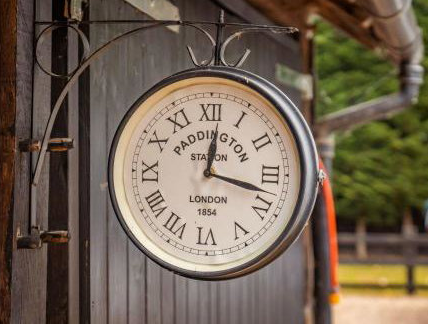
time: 12:17
